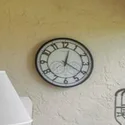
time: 12:20
